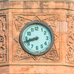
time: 8:42
